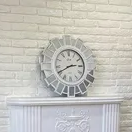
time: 2:40
